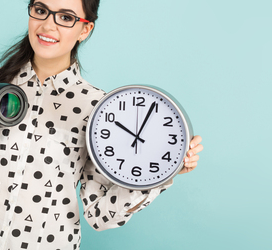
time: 10:04
